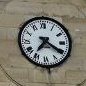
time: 7:20
